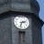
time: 2:32
